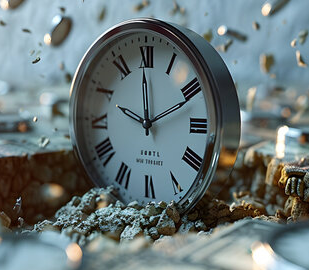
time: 9:59
